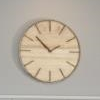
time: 1:52
